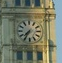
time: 7:34
